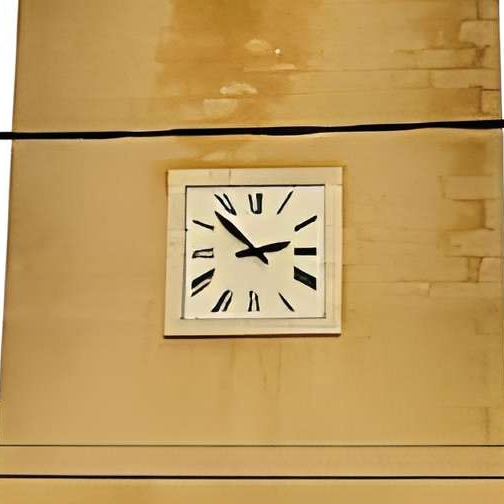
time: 2:52
